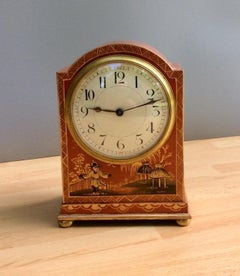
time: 9:12
